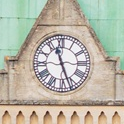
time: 11:26
